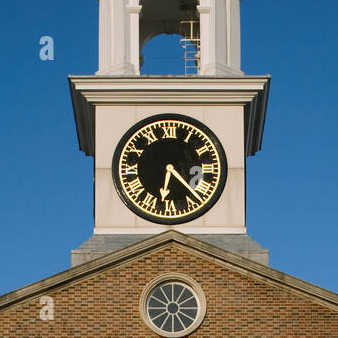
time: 6:22
